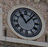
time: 11:07
